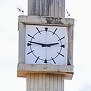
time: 2:46
